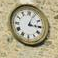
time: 3:03
